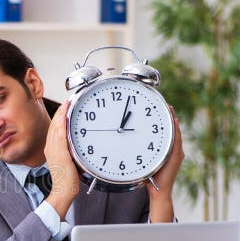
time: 1:03
